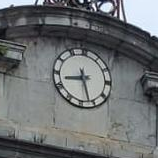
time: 8:27
